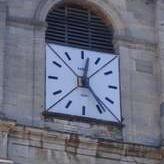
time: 12:23
